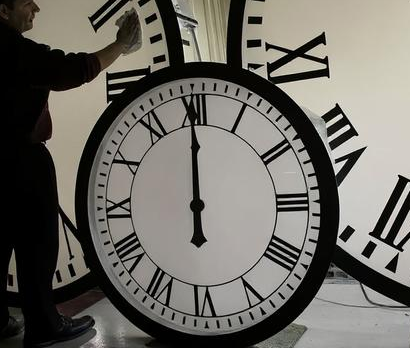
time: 11:59
